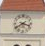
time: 3:39
